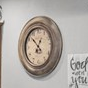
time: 12:52
